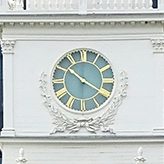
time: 10:19
